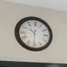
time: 10:30
